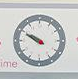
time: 9:50
